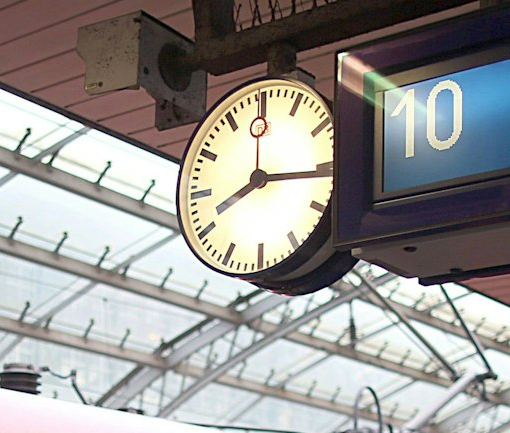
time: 8:16
